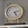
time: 5:12
